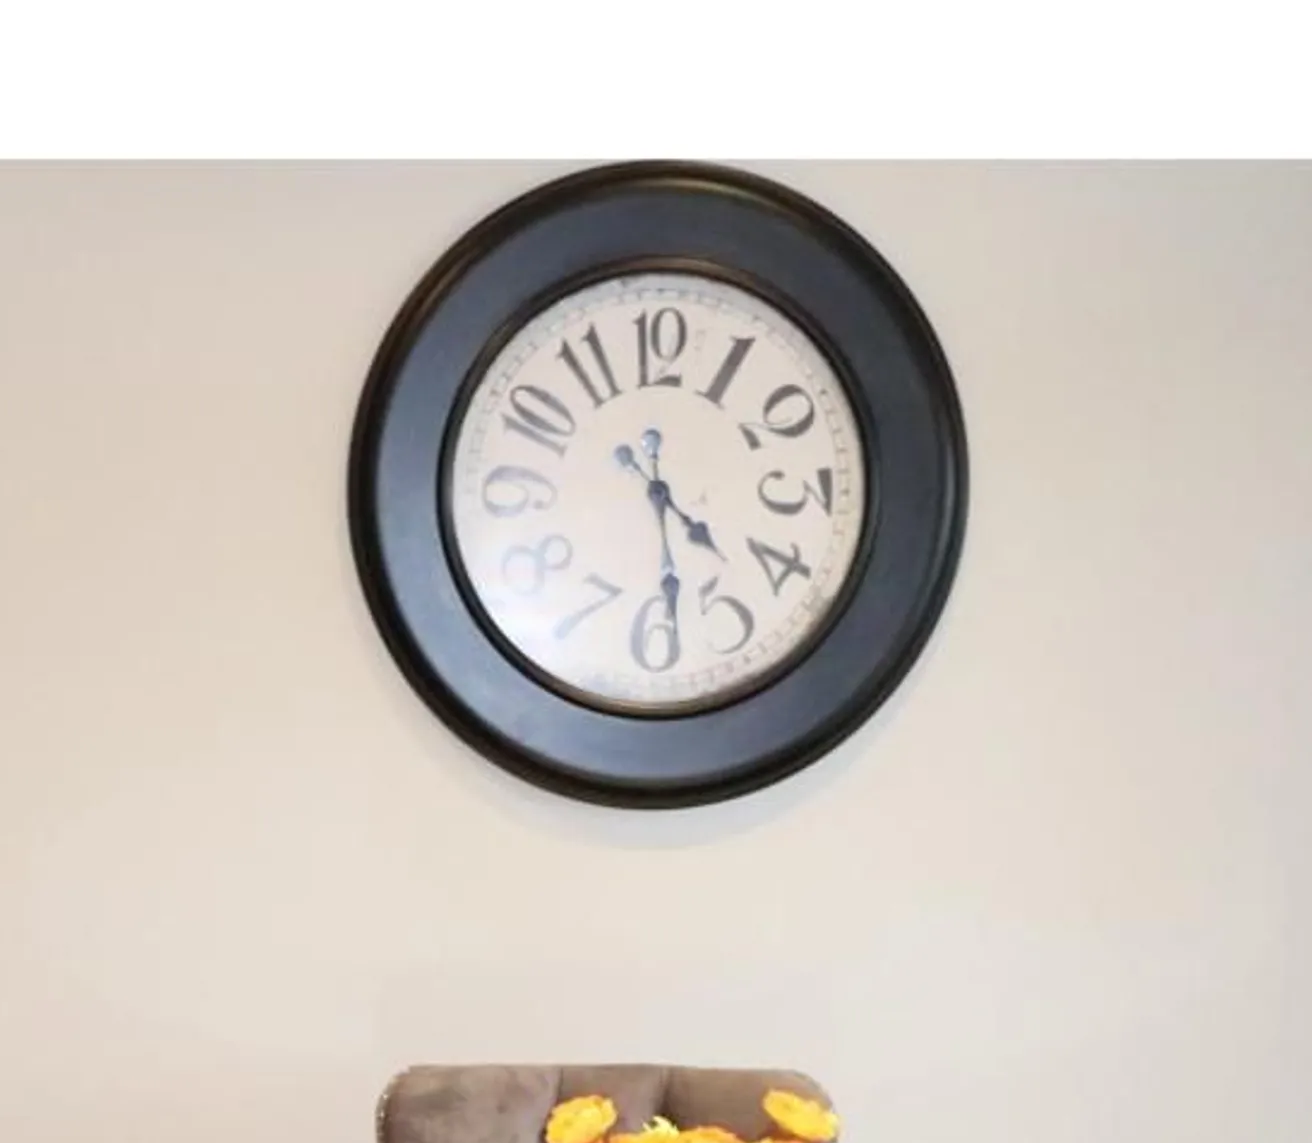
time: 4:28
